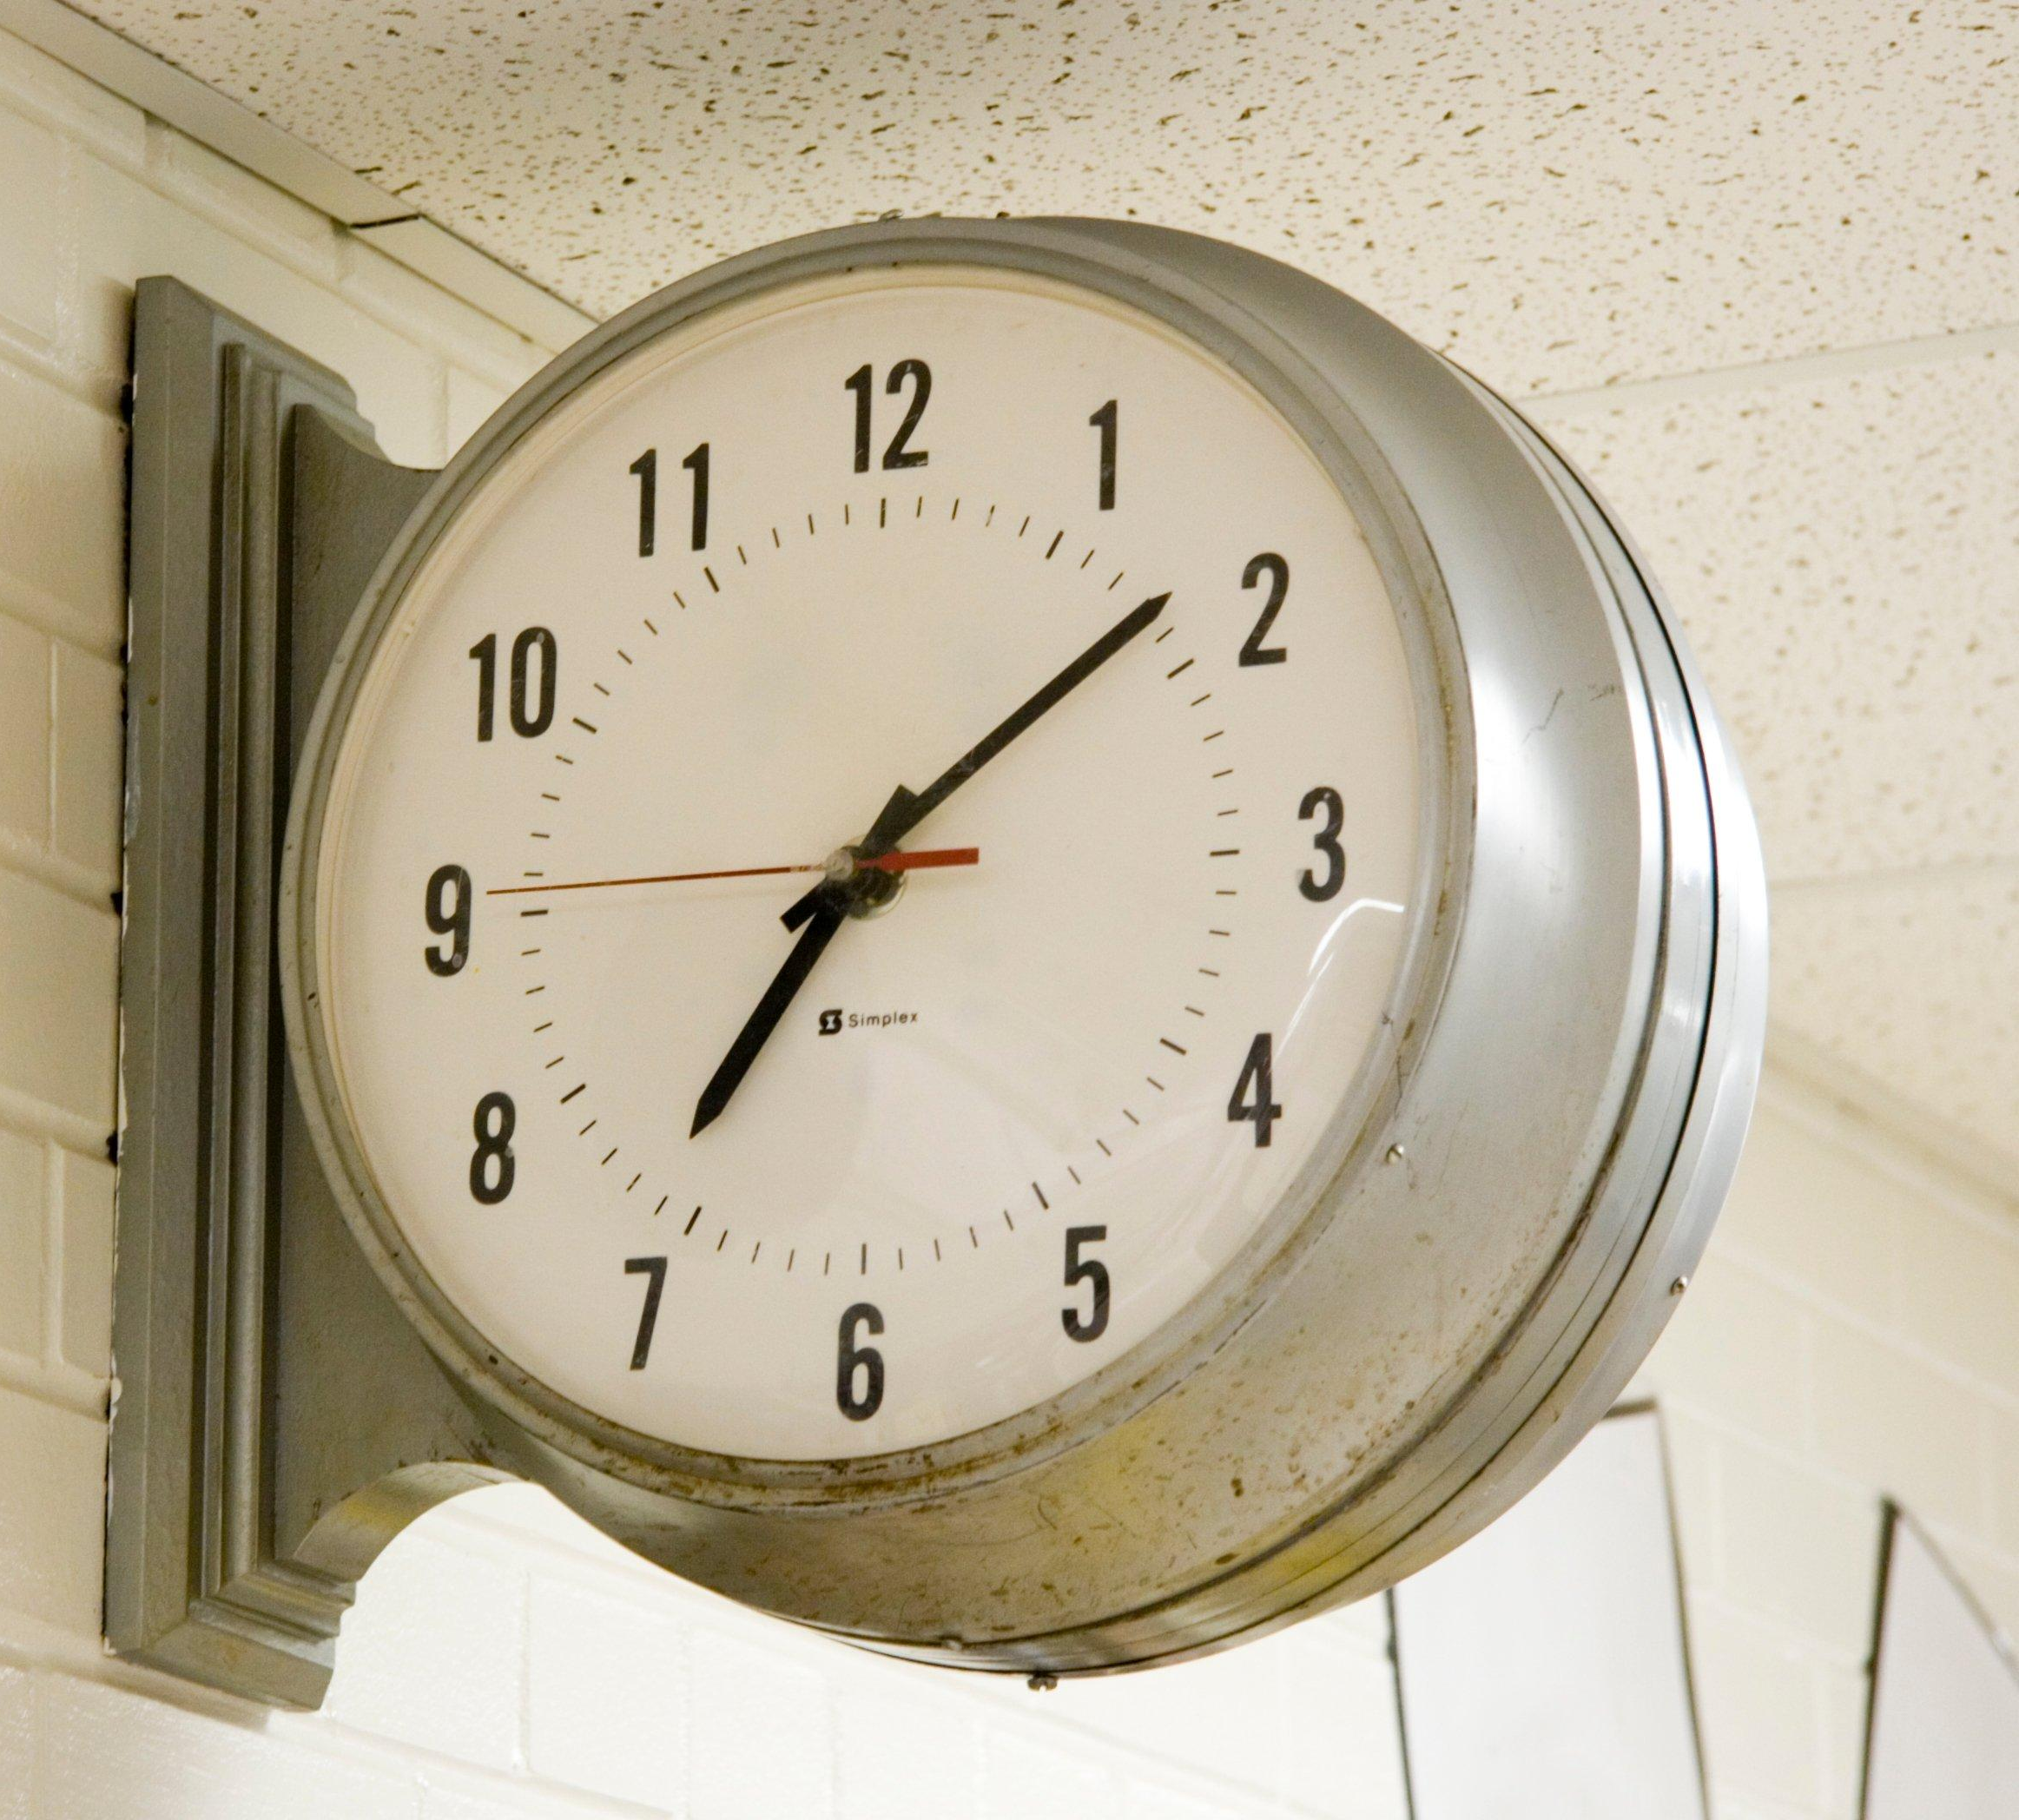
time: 7:08
